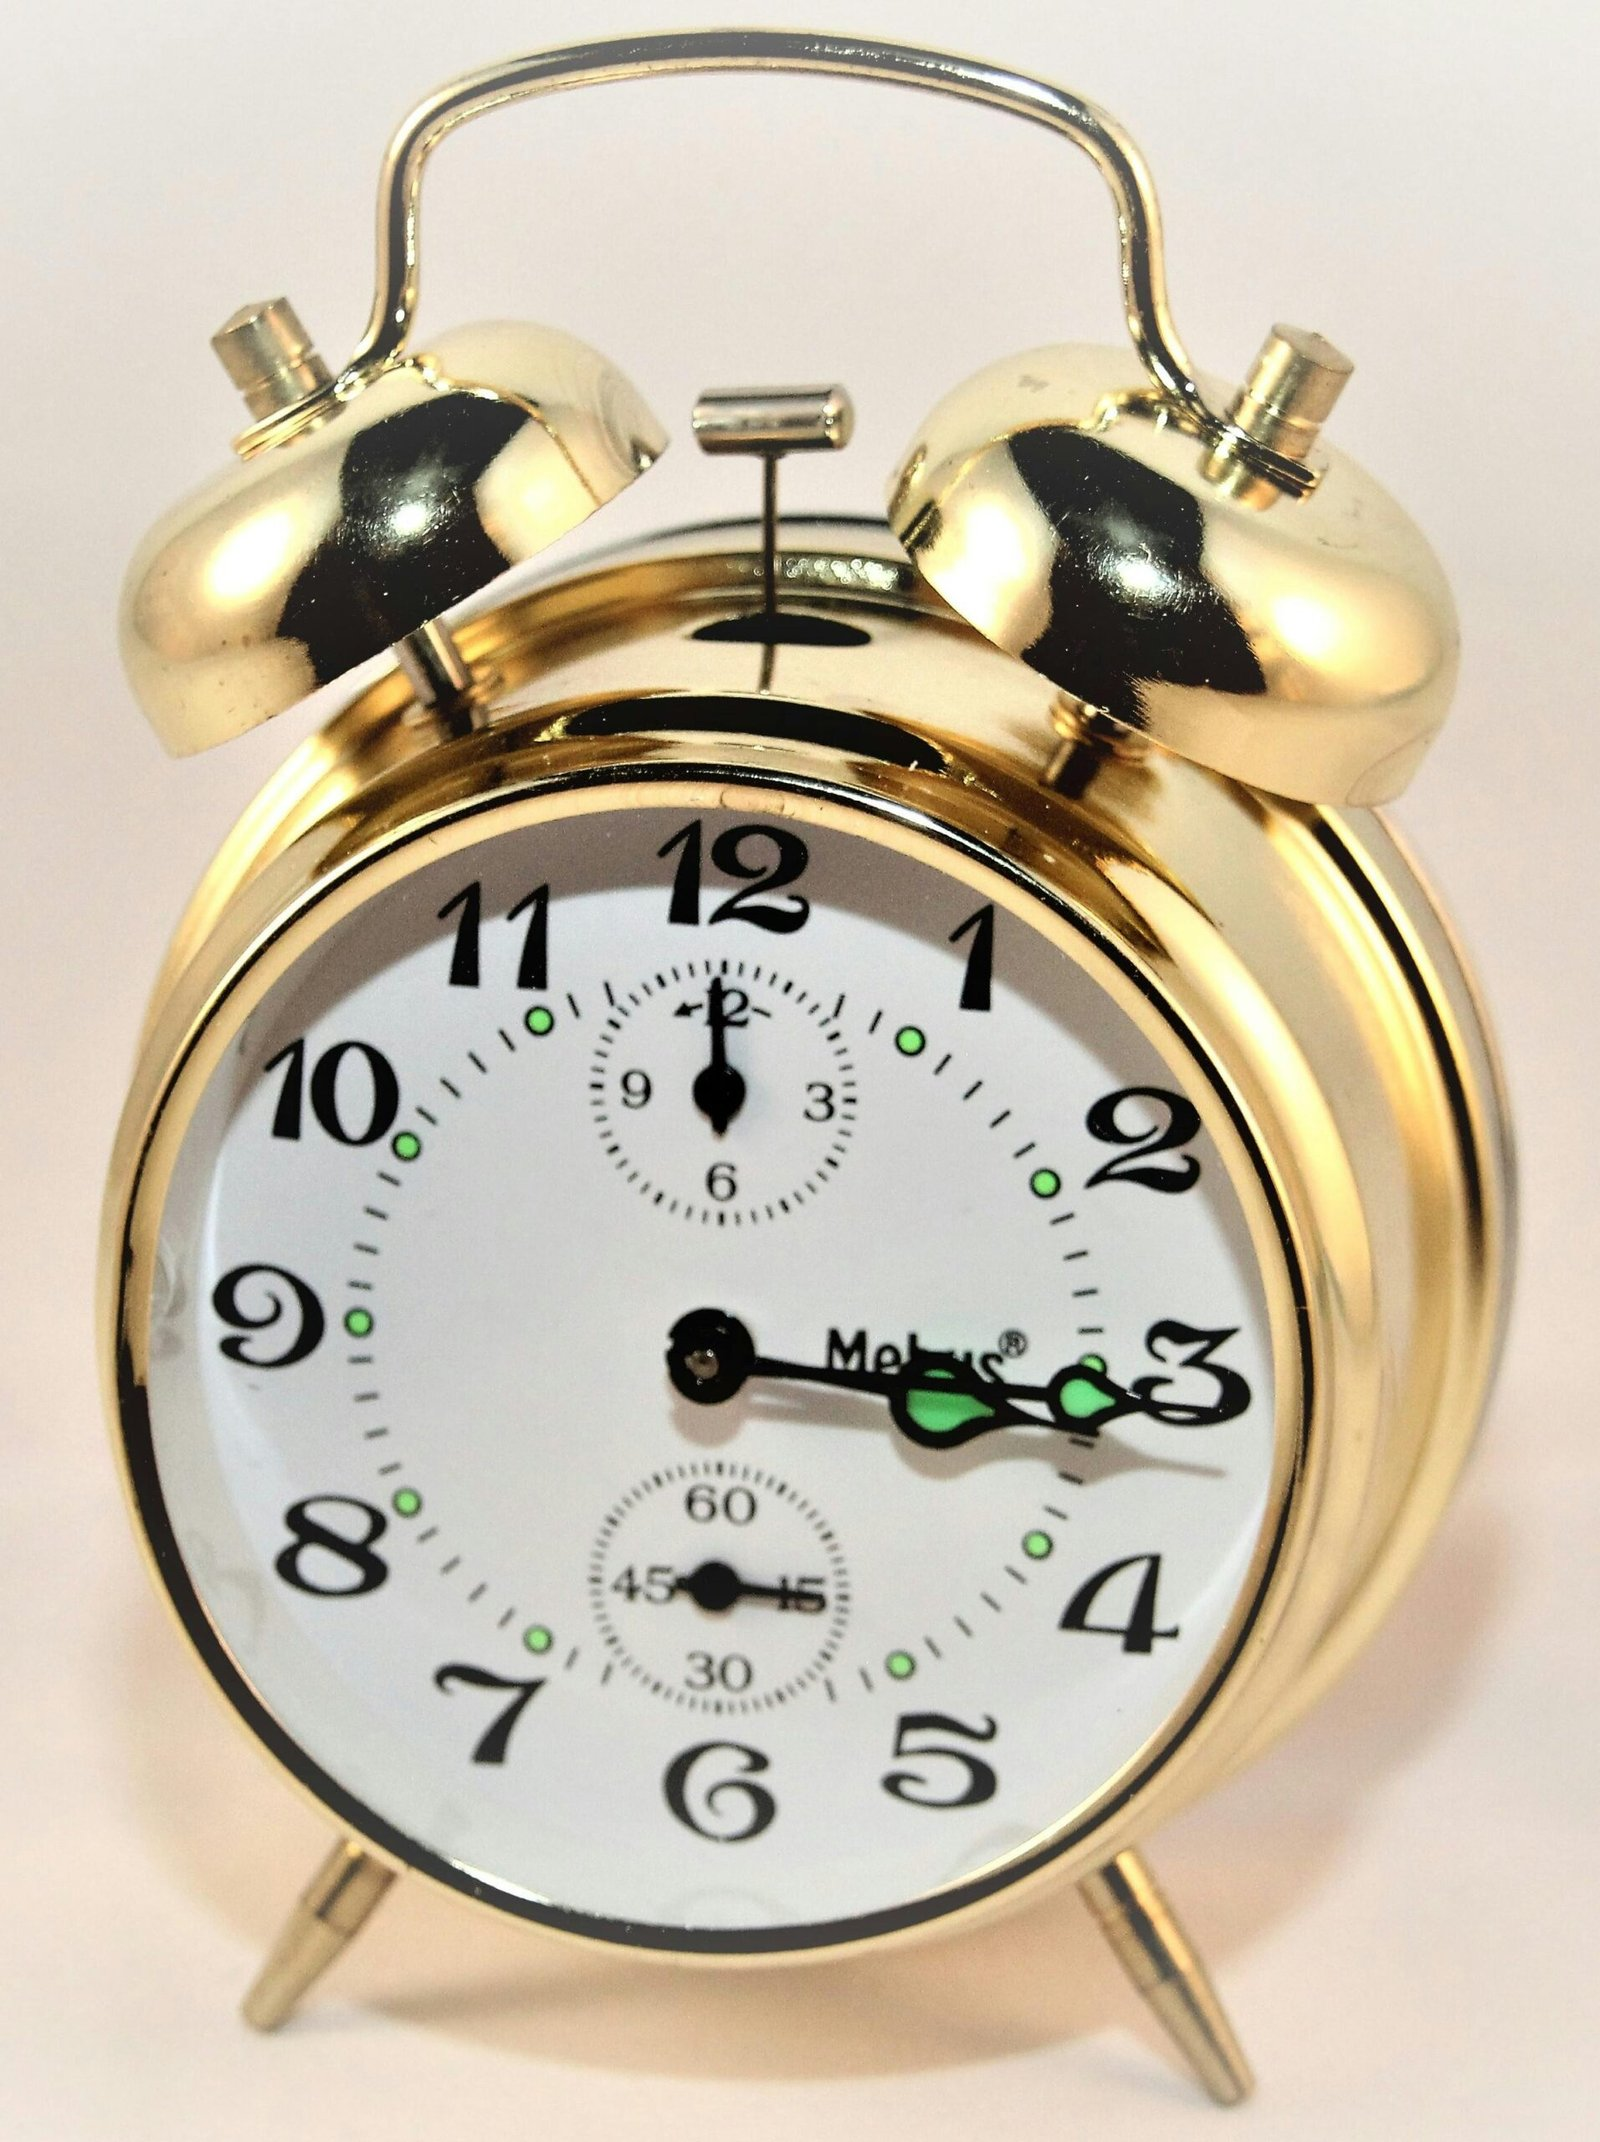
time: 3:15
